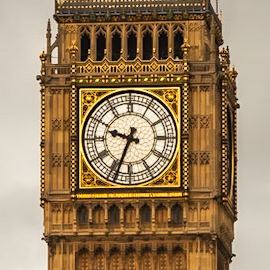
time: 9:33
